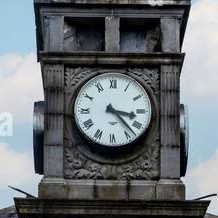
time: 3:22
